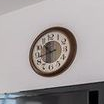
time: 10:42
